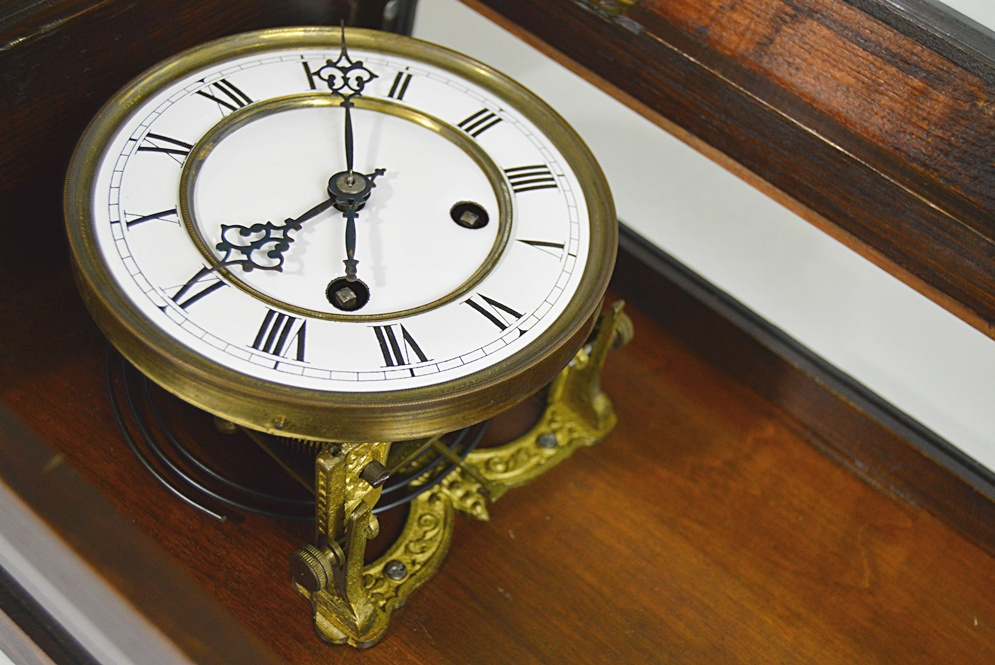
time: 8:01
